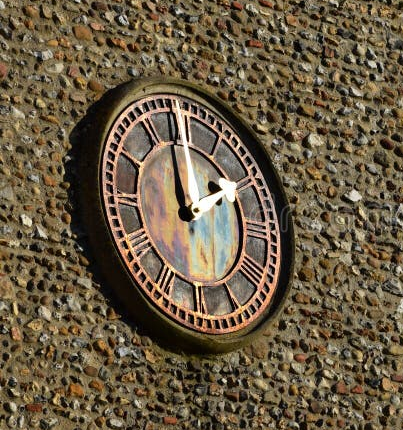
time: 1:59
